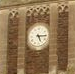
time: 5:15
